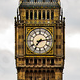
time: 7:13
